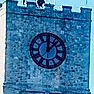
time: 12:07
